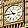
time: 10:45
